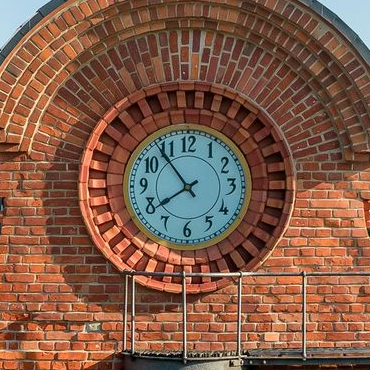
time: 7:53
